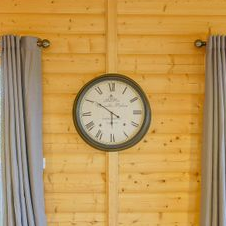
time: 5:50
